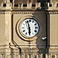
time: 5:57
